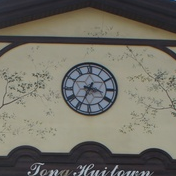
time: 3:34
